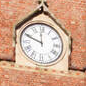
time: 11:48
